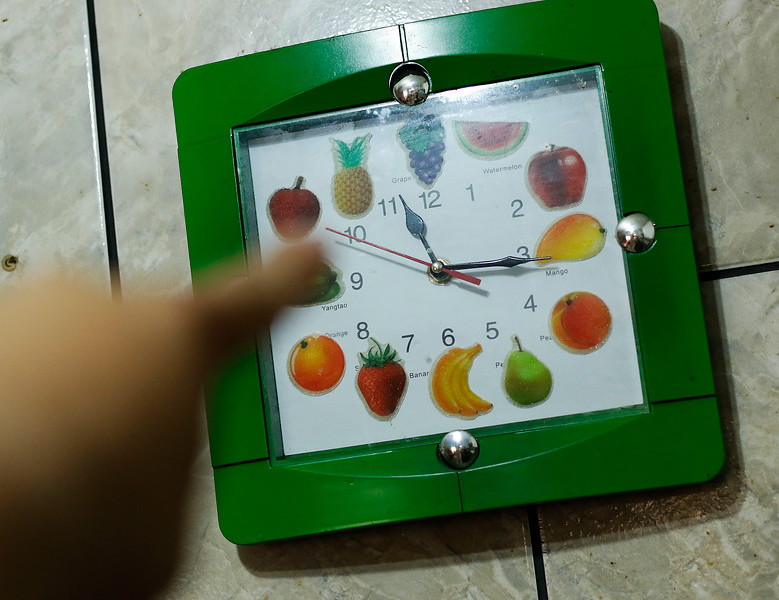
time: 11:15
